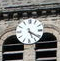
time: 5:21
